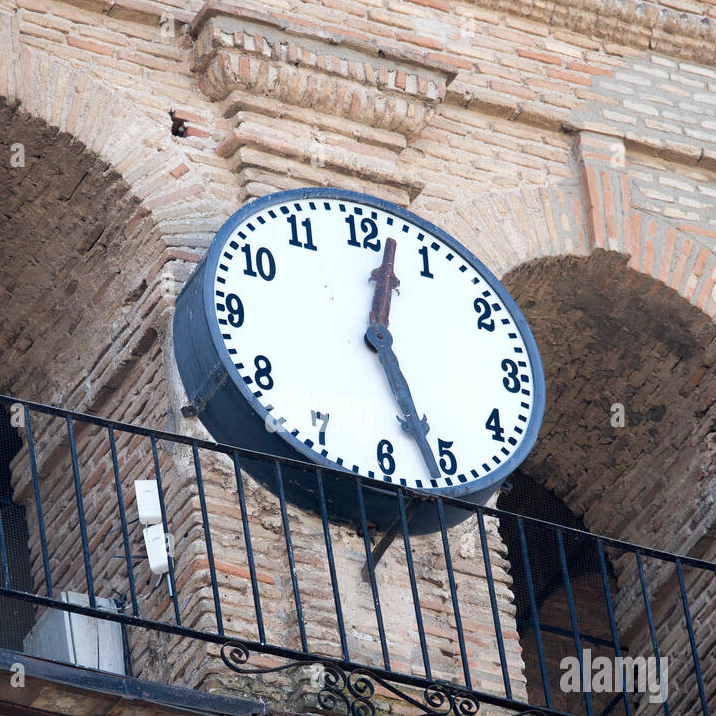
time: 12:26
